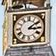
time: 3:09
